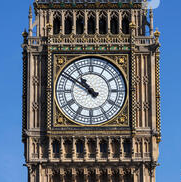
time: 10:50
